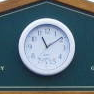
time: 11:09
